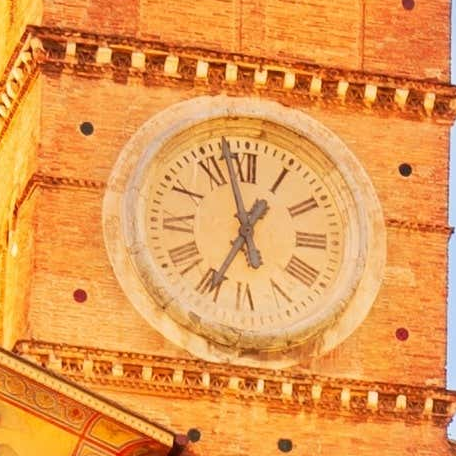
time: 12:57
